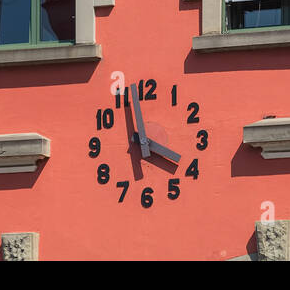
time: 3:57
